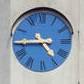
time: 4:44
